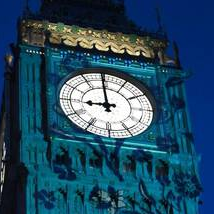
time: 8:59
